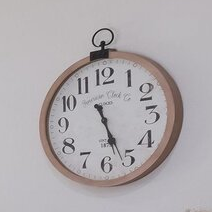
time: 5:26
